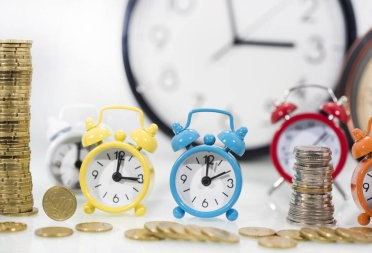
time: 2:00
